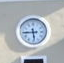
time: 5:44
